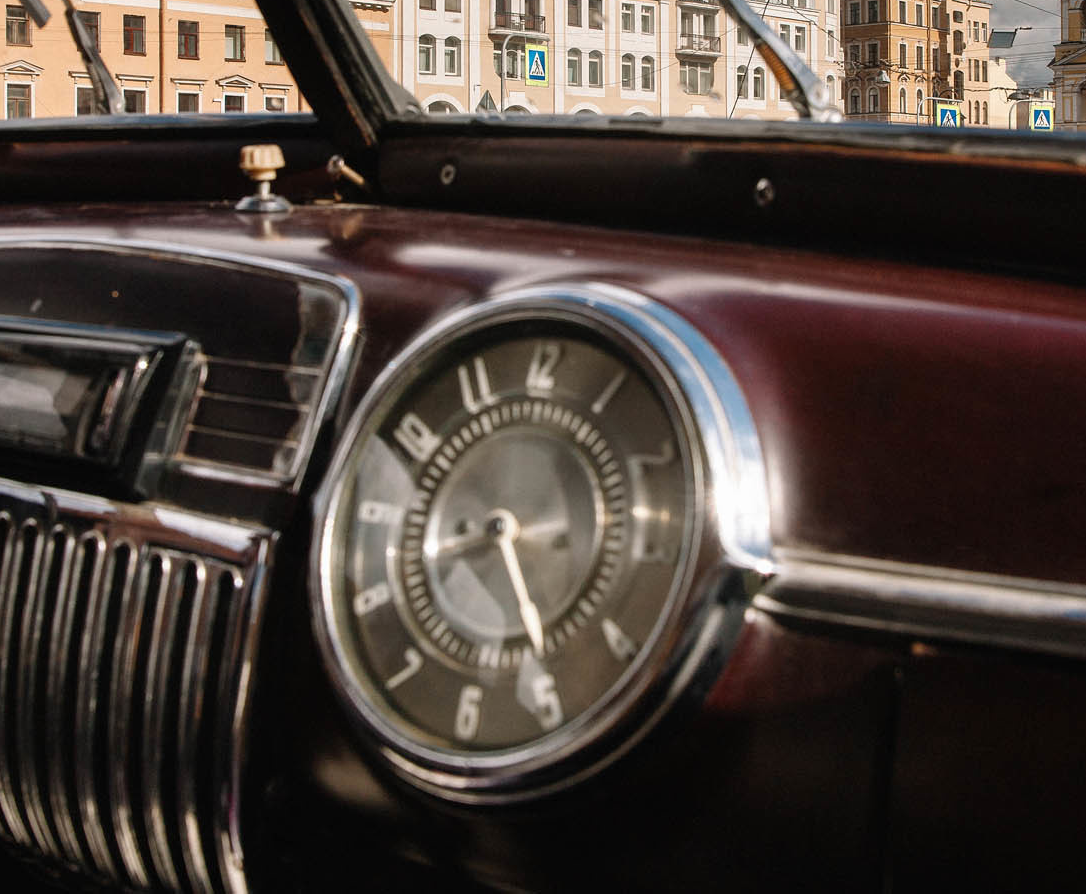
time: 8:24
